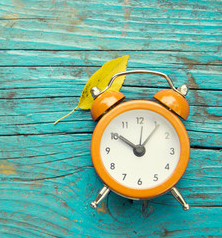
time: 10:06
